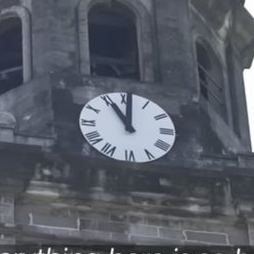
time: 11:00
